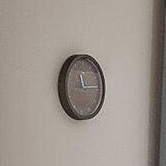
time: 11:14
